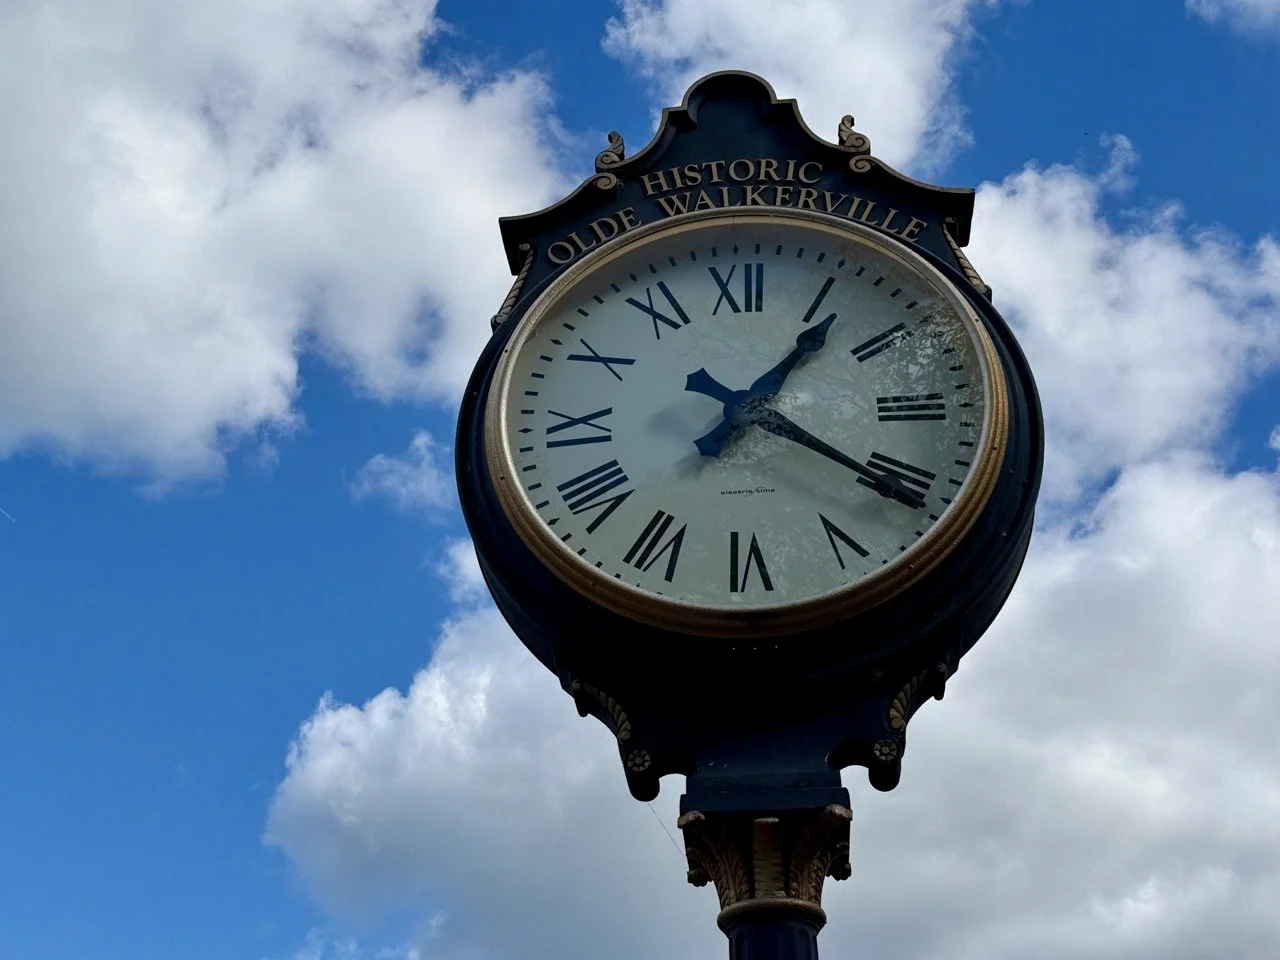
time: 1:20
